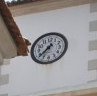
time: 7:37
